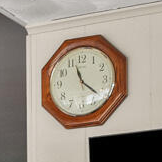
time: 11:21
